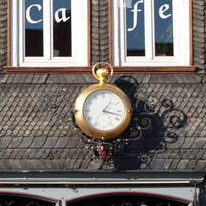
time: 1:17
